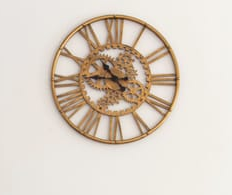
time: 10:45
